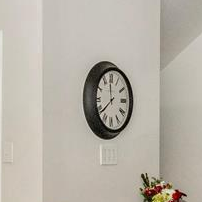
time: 11:38
